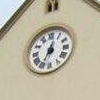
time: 12:33
